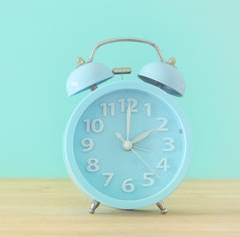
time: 2:00
